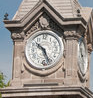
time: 10:26
